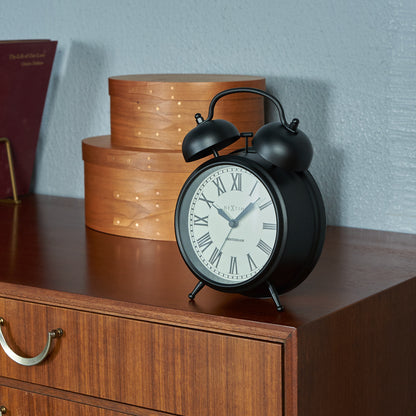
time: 1:50
